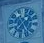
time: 1:36
